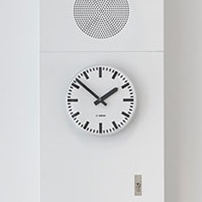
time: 1:51
